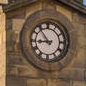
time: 8:53
